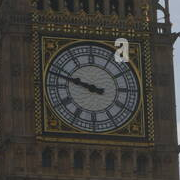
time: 9:48
